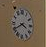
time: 3:40
